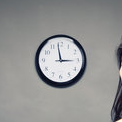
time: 2:58
